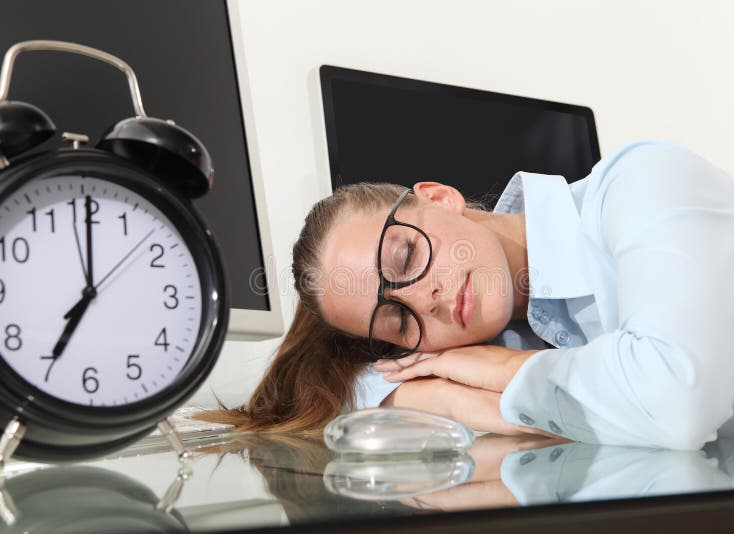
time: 7:00
